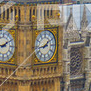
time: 1:43
